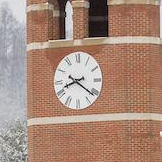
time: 8:21
